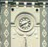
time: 8:11
